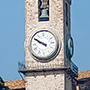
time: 9:50
